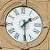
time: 1:29
